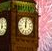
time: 12:01
